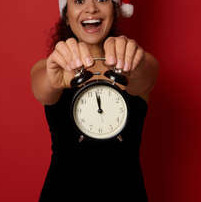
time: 11:58
